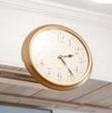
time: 2:23
